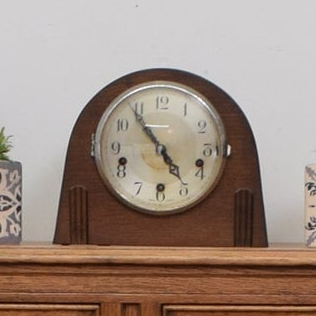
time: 4:54
